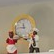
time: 11:46
